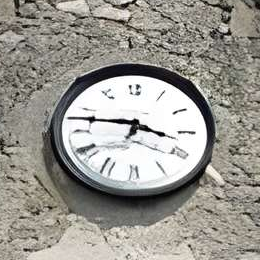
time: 3:46
